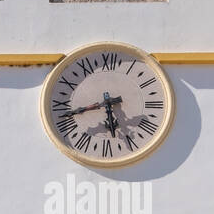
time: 5:42
